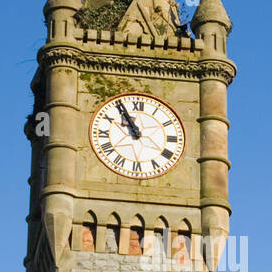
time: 10:55
